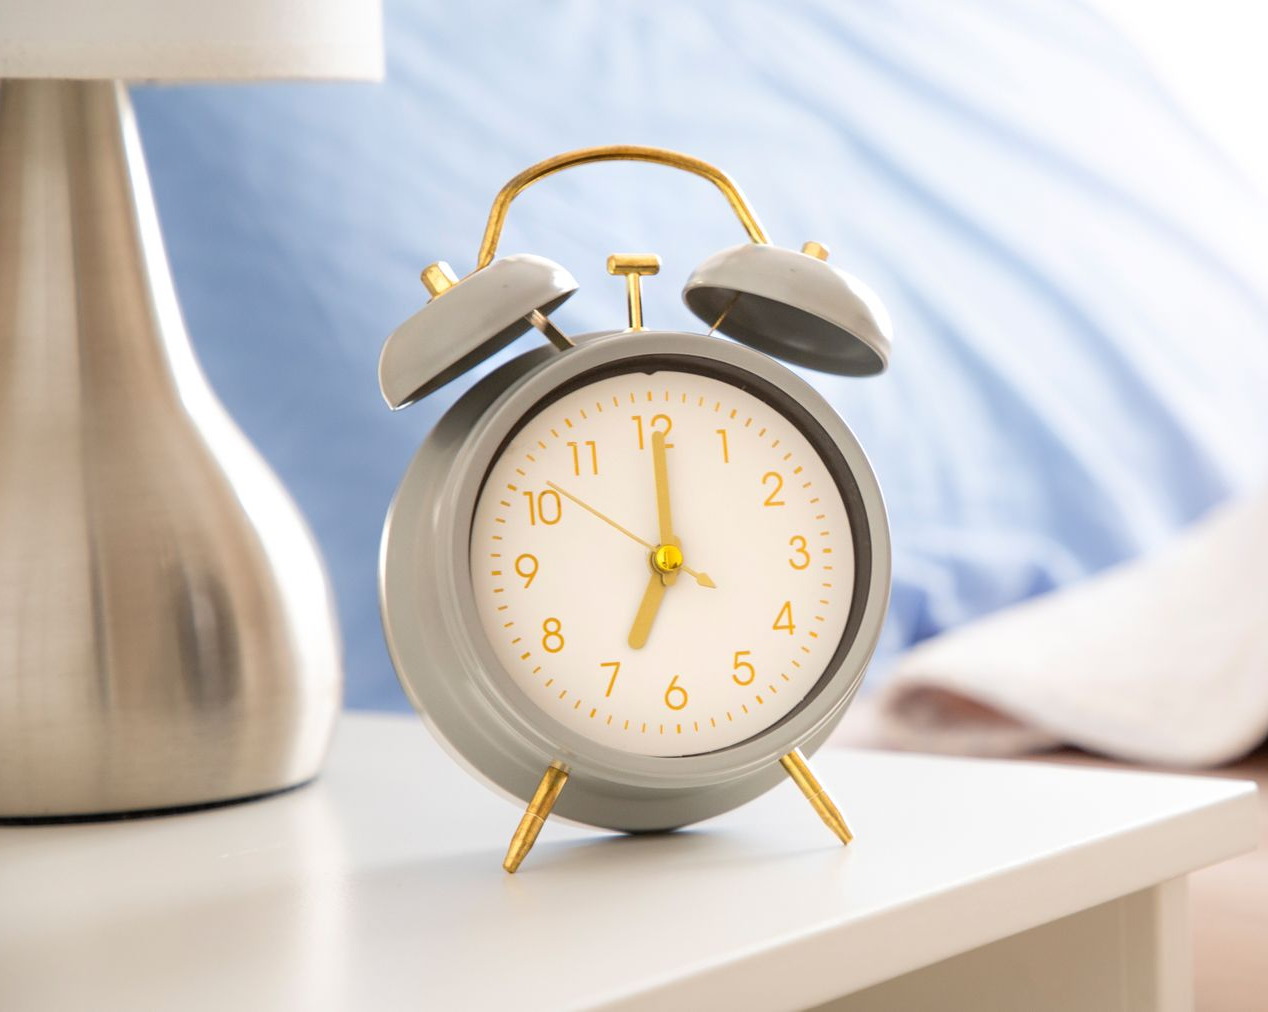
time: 7:00
